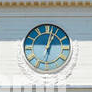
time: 1:02
